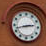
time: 2:42
